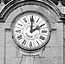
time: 2:00
